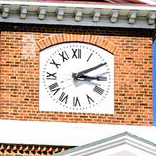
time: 3:10
